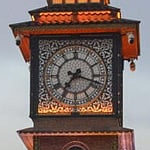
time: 7:18
